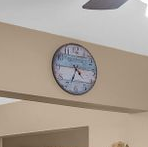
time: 4:33
